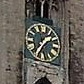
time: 1:35
